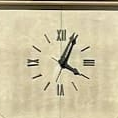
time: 4:04
